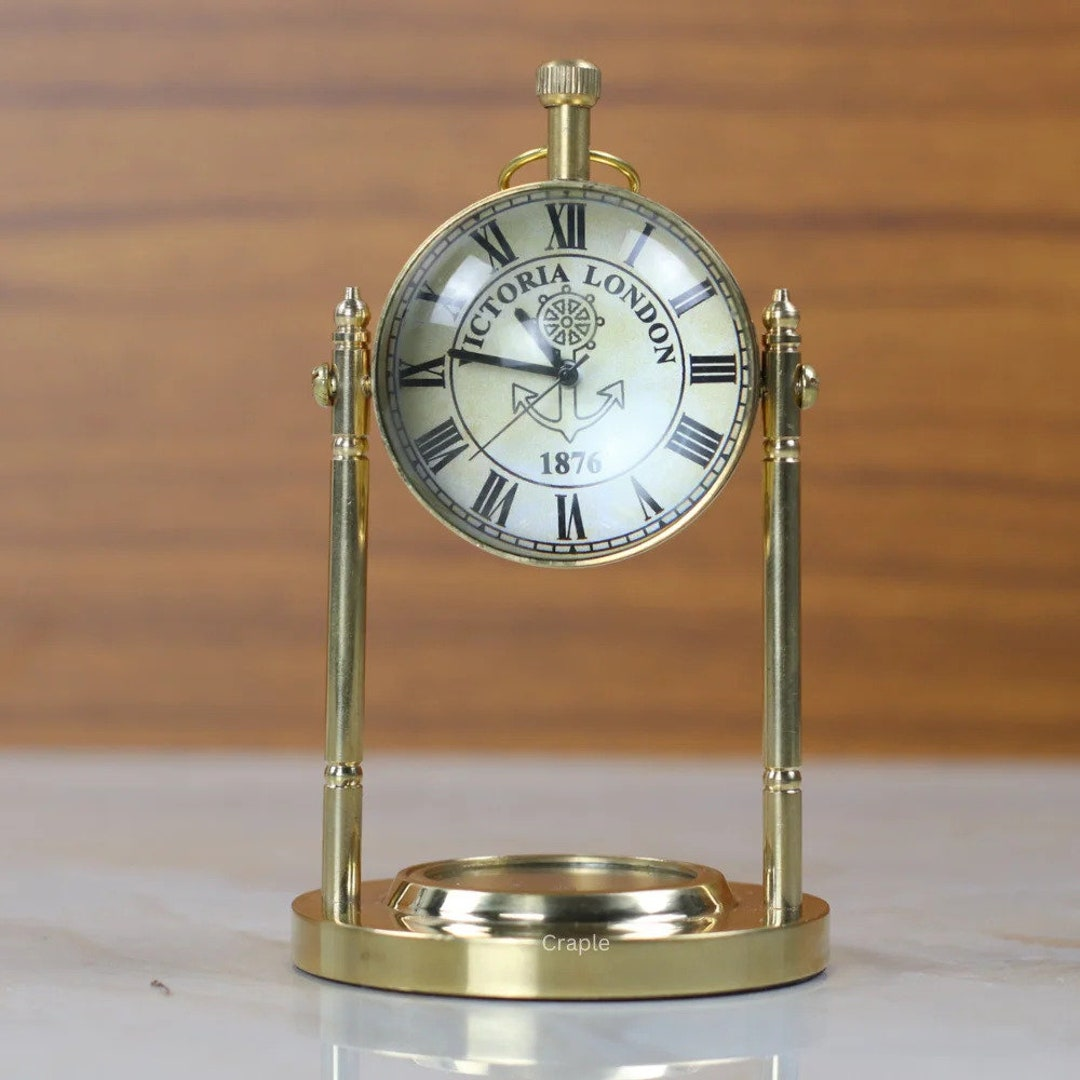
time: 11:46
